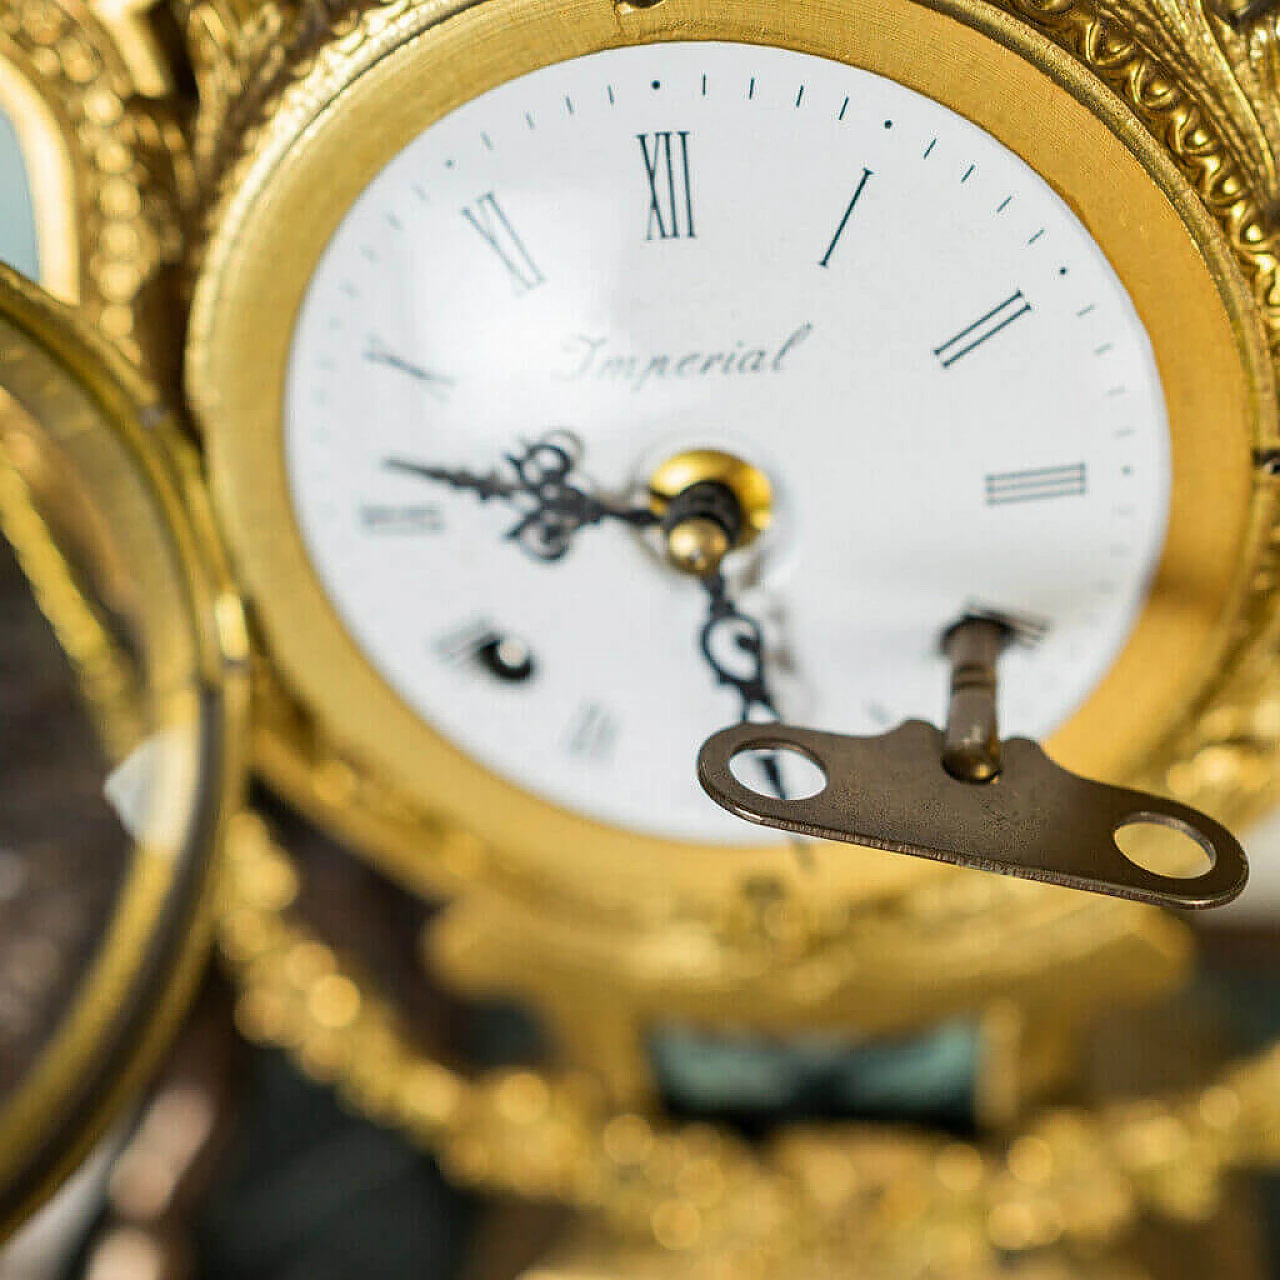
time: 5:46
